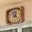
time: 12:23
